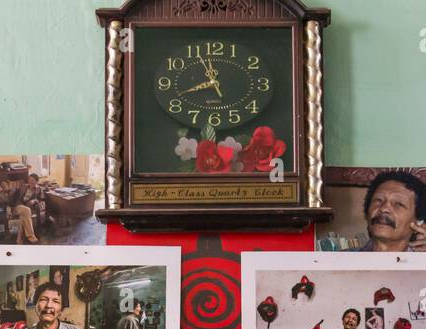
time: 11:41
